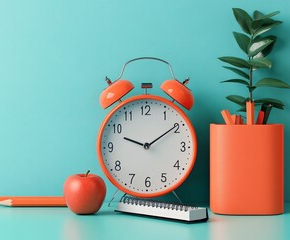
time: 9:09
